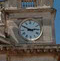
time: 2:49
